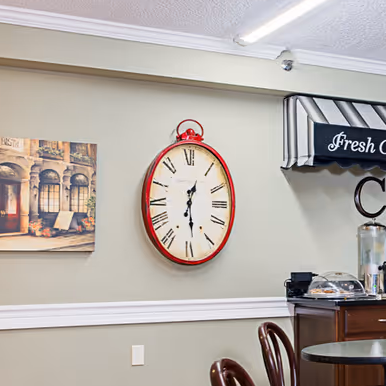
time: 12:28
